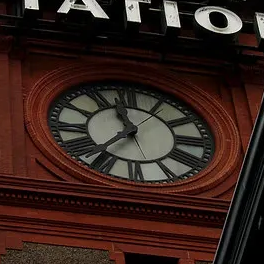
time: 11:36
